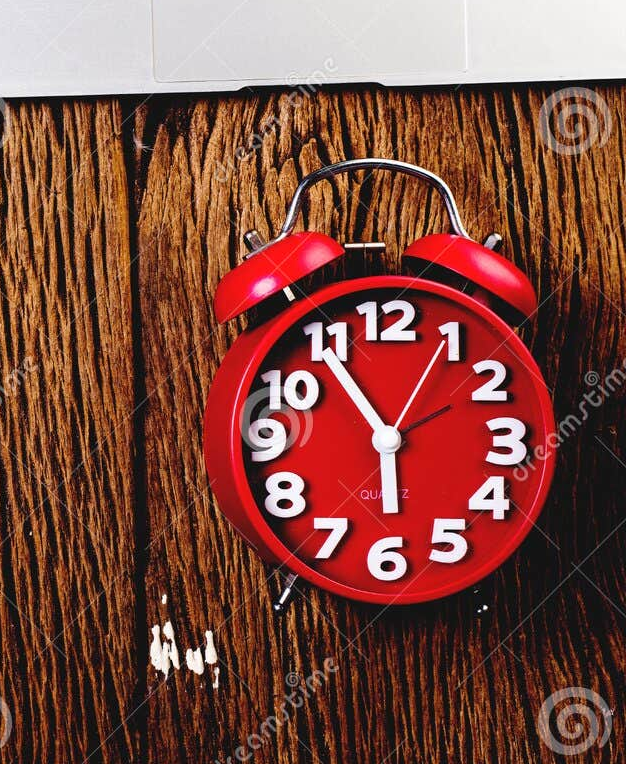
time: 5:54
